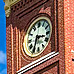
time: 3:34
